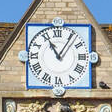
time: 11:05
